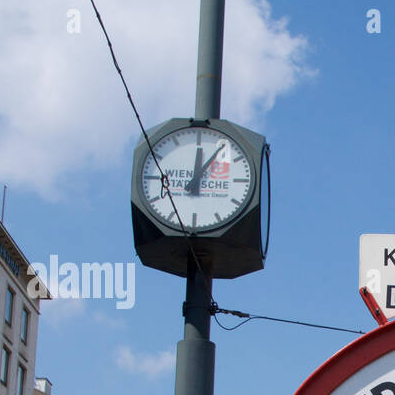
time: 12:05
